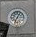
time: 7:04
